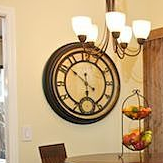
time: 5:51
